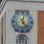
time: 12:23
